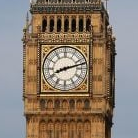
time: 8:12
